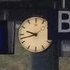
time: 9:42
